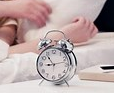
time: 8:54
